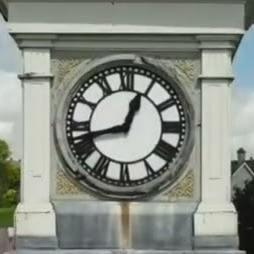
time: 12:42
